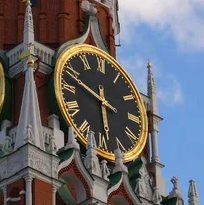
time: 5:48
